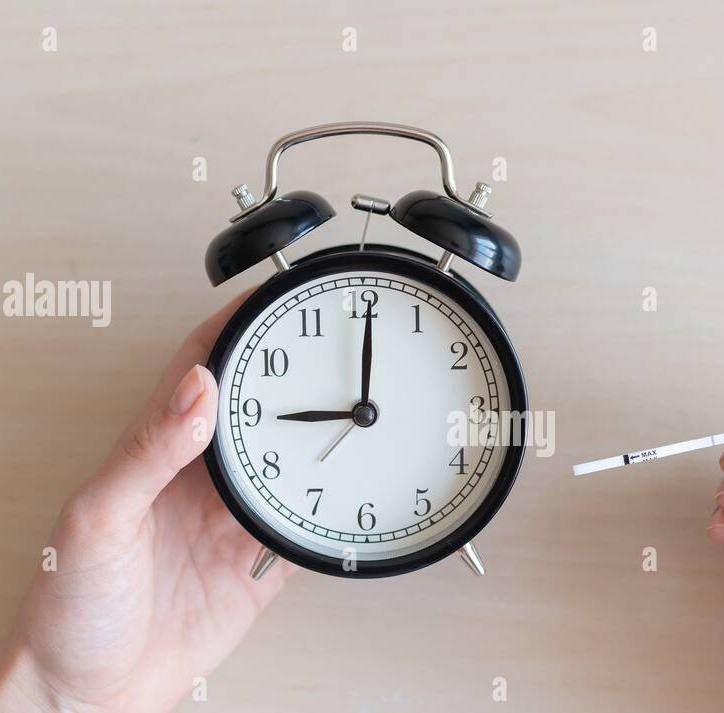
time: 9:00
